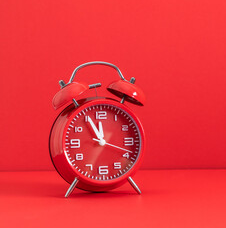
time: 11:55
